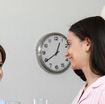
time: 12:39
